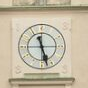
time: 11:27
